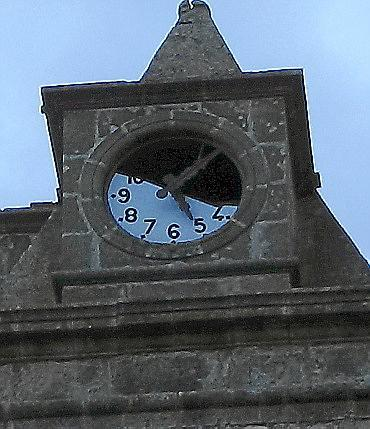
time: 5:07
